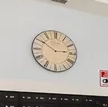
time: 2:50
